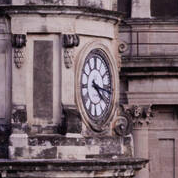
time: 4:16
